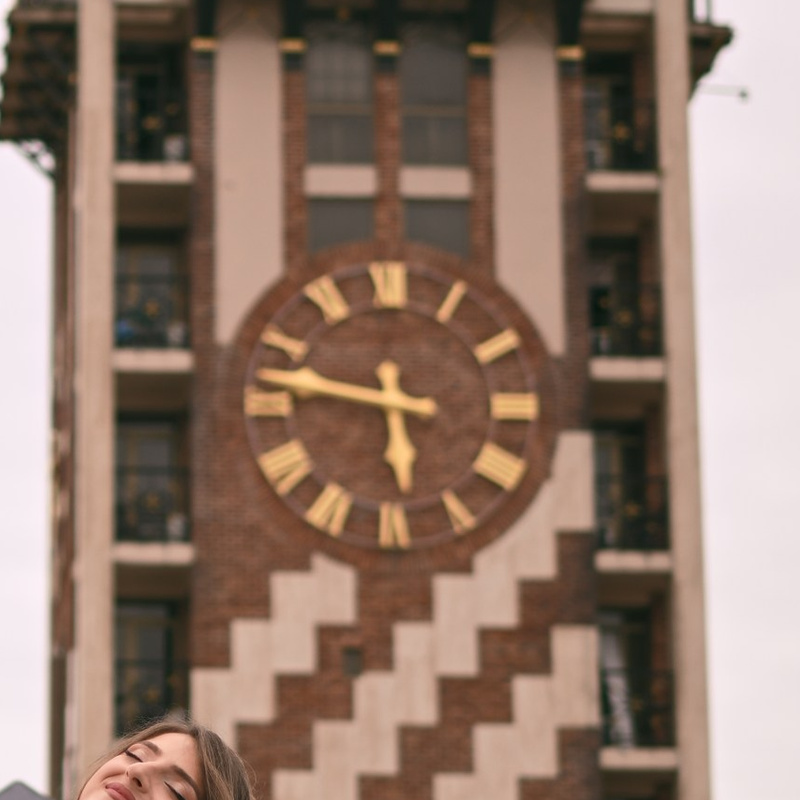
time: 5:47
